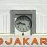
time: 9:45
